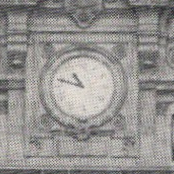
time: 10:47
